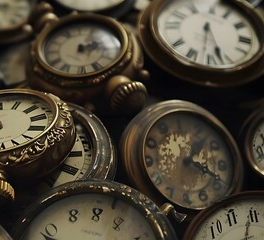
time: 1:19
